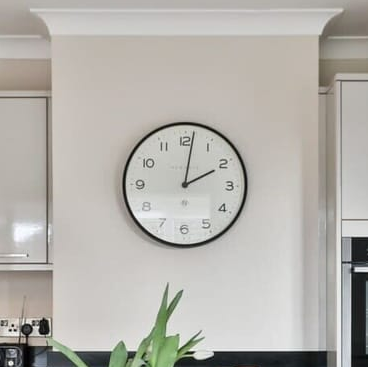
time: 2:01
